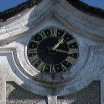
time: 1:16
